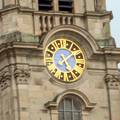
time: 5:08
